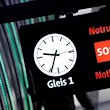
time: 9:34
